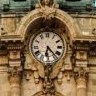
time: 6:23
